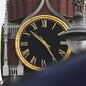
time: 10:24
